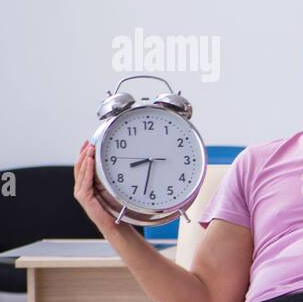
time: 8:32
